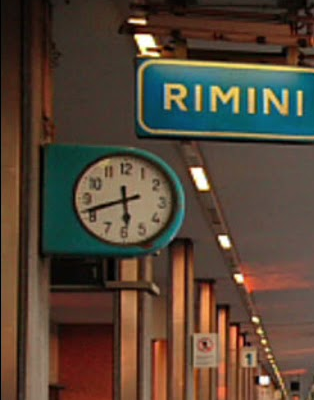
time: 5:41
